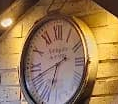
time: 6:41
